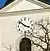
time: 3:52
